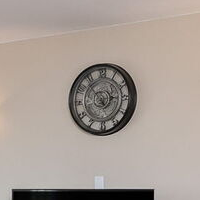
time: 2:53
